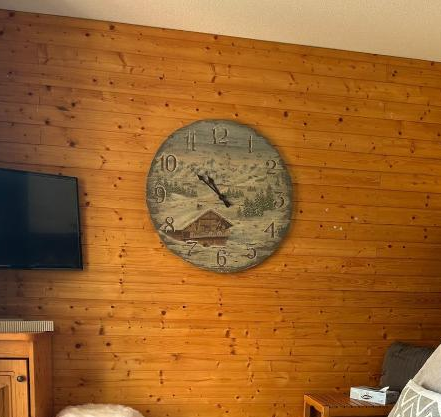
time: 10:38
